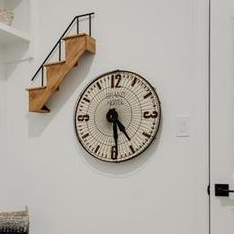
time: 4:29
